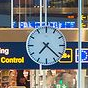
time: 7:22
